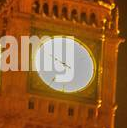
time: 4:00
